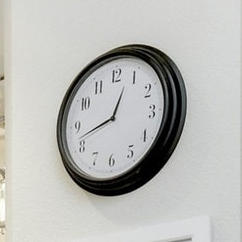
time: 12:42
